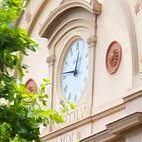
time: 12:46
